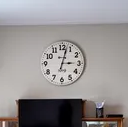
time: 3:02
